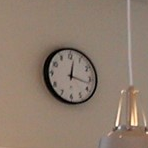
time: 12:17
